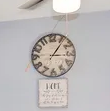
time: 3:06
